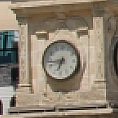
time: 6:43
